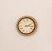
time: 2:16
